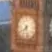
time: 7:27
